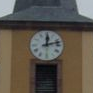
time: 12:12
